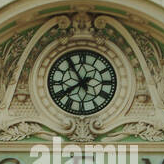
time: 7:54
